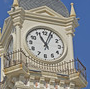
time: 11:03
